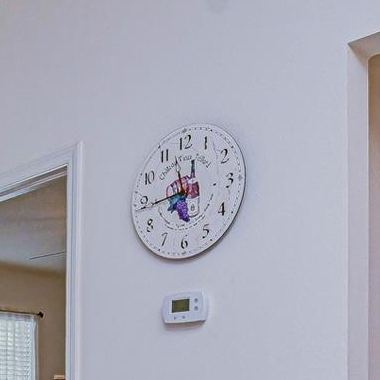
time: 11:43
